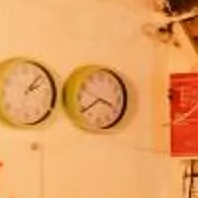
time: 3:38
